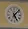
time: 5:07
